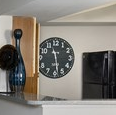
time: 11:28
